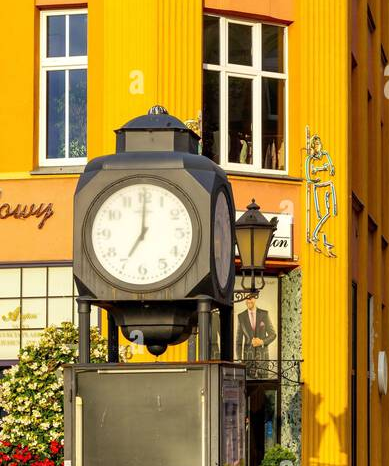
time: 7:00
